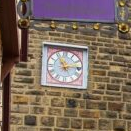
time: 11:13
